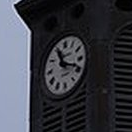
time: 11:18
